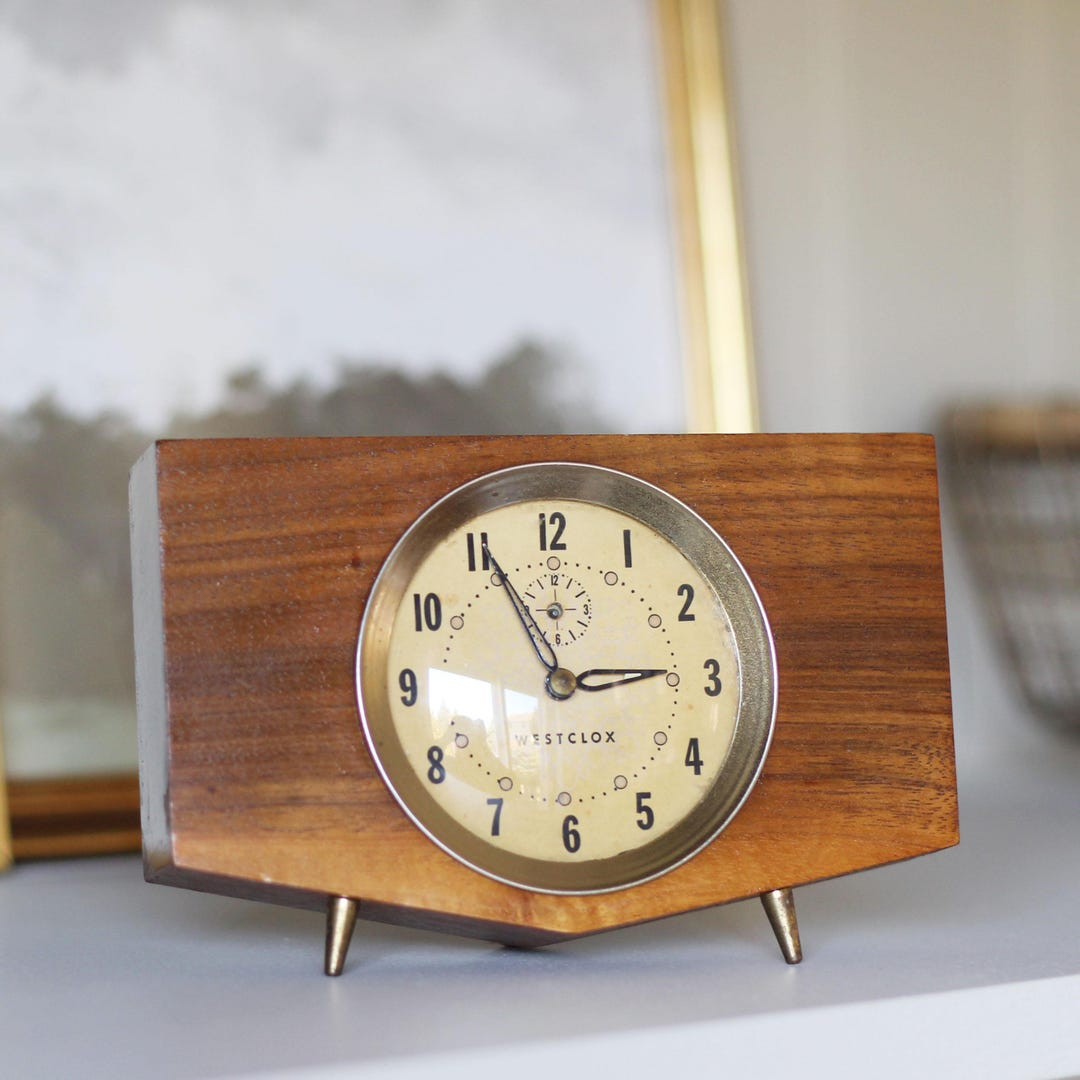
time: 2:55
